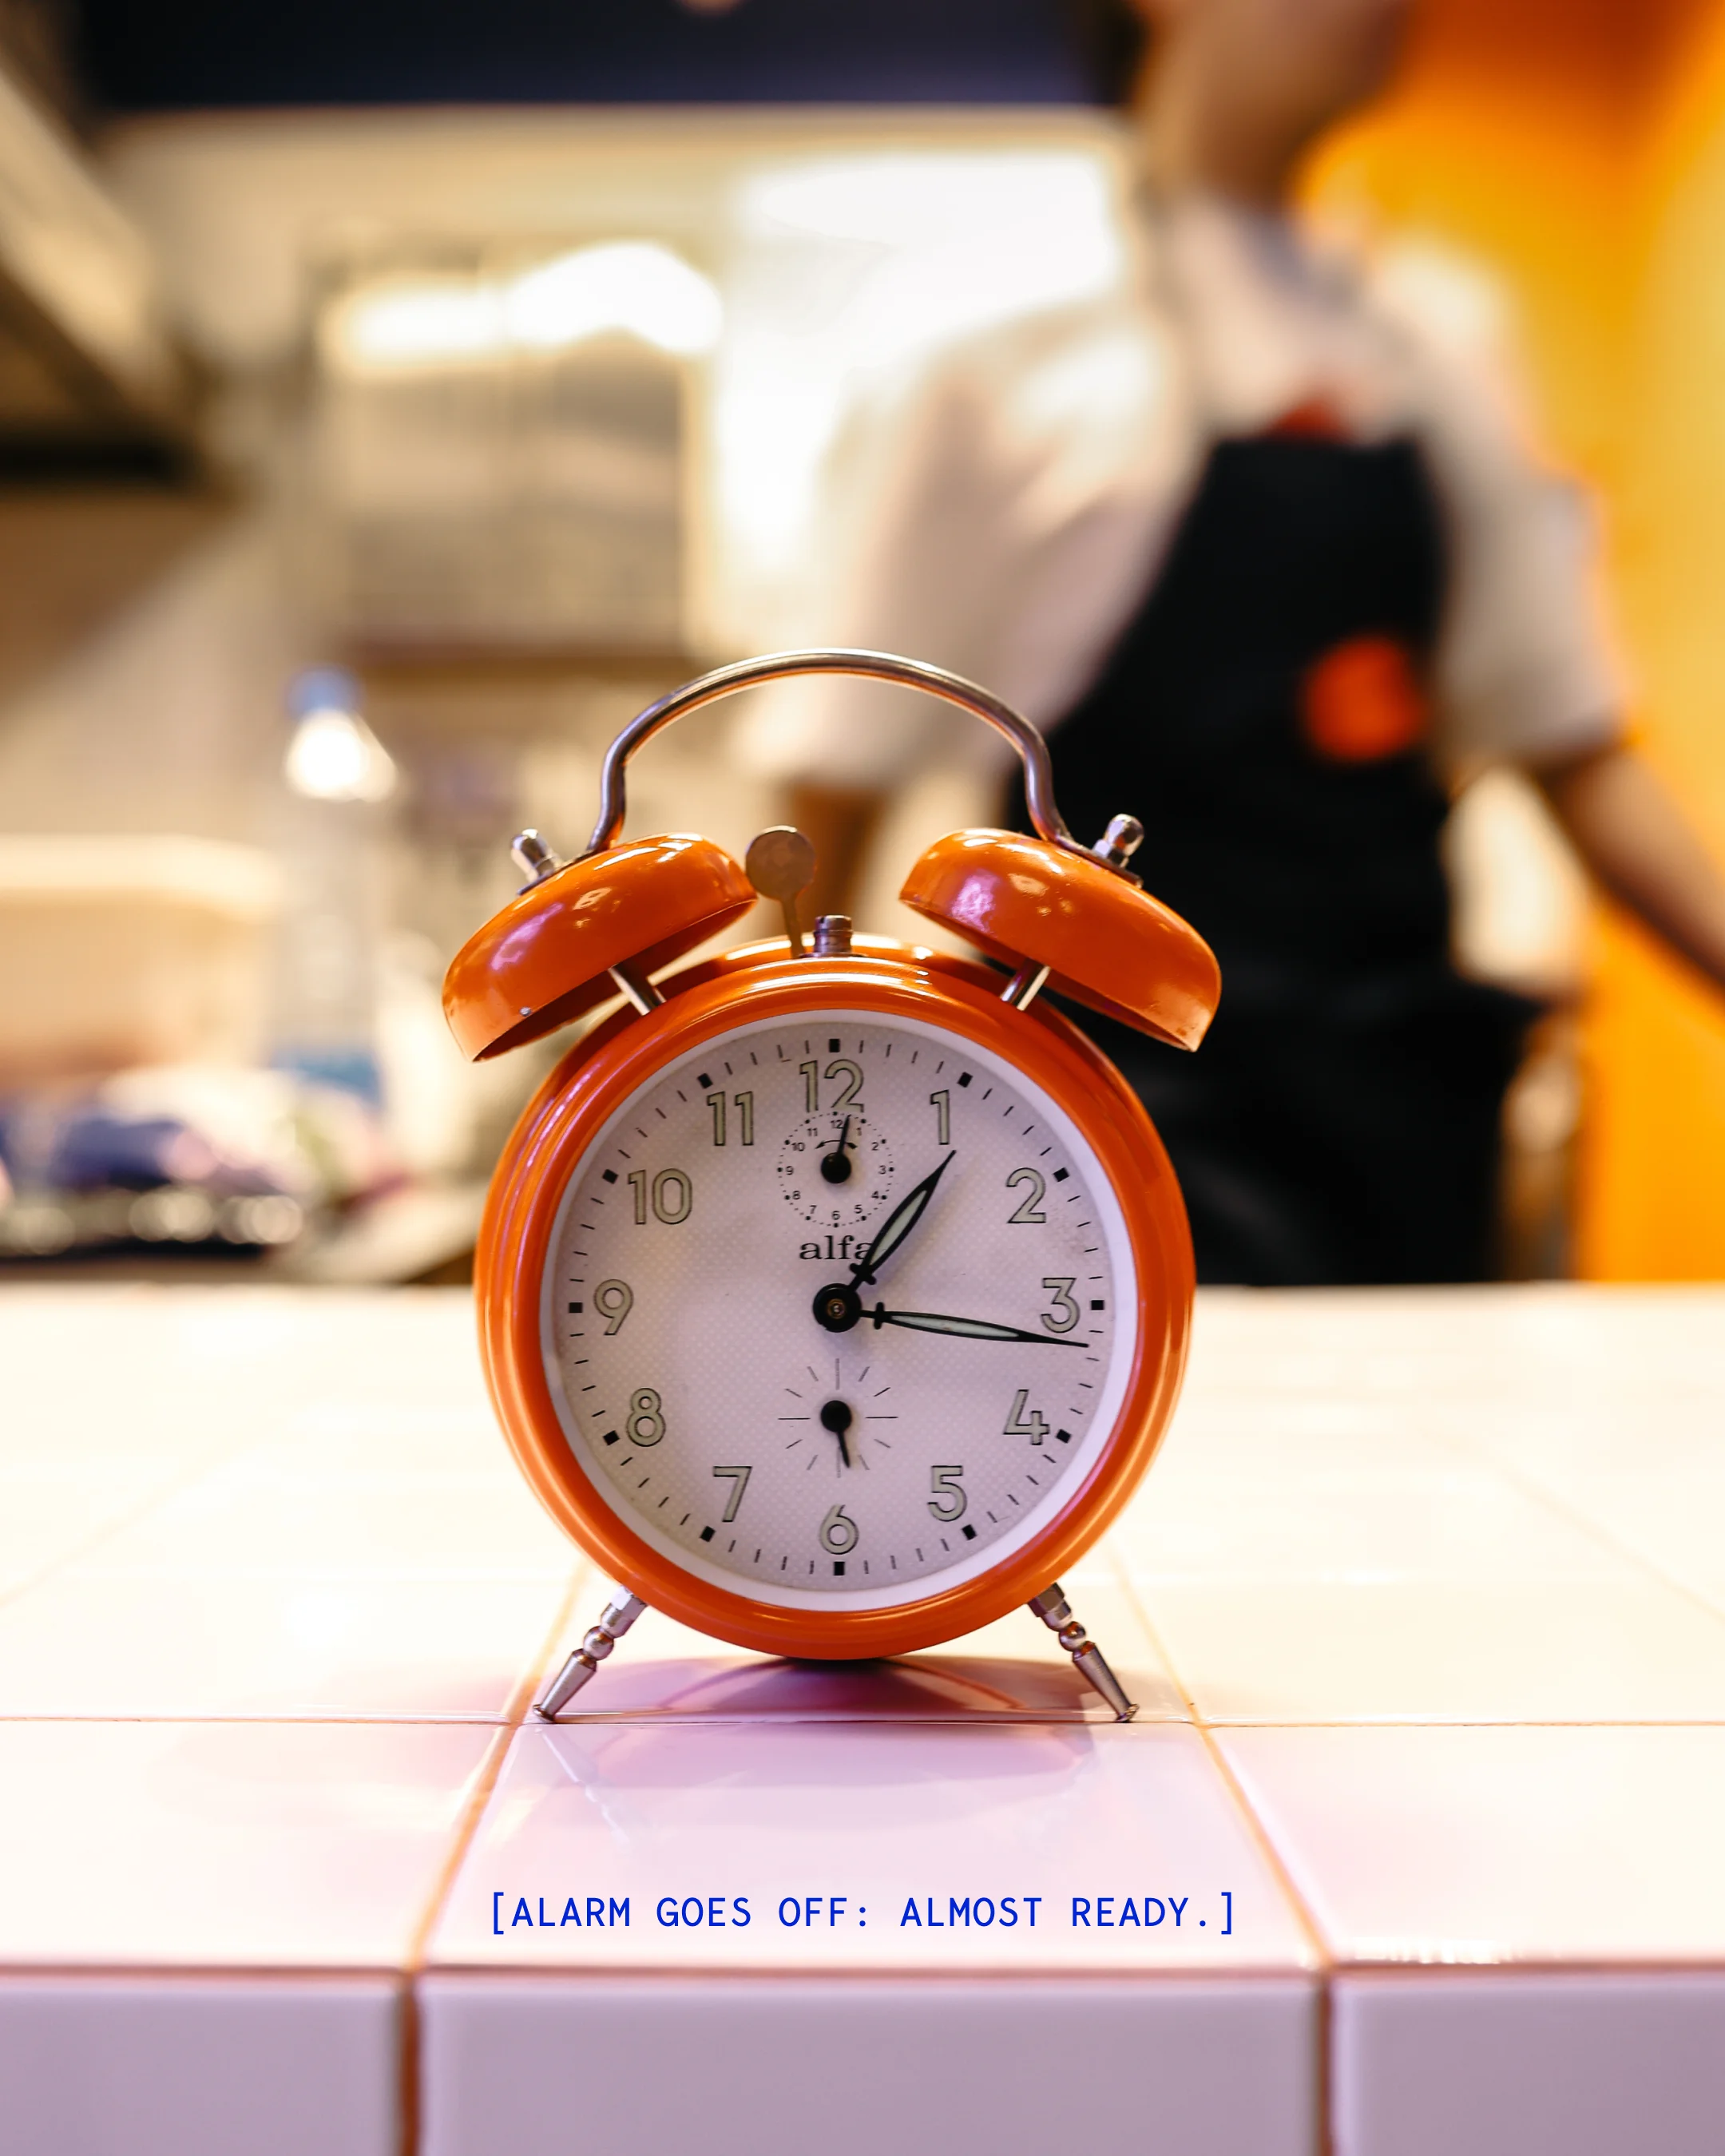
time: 1:16
